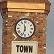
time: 11:32
